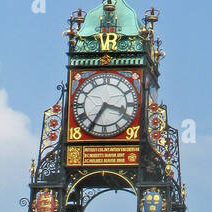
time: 3:35
